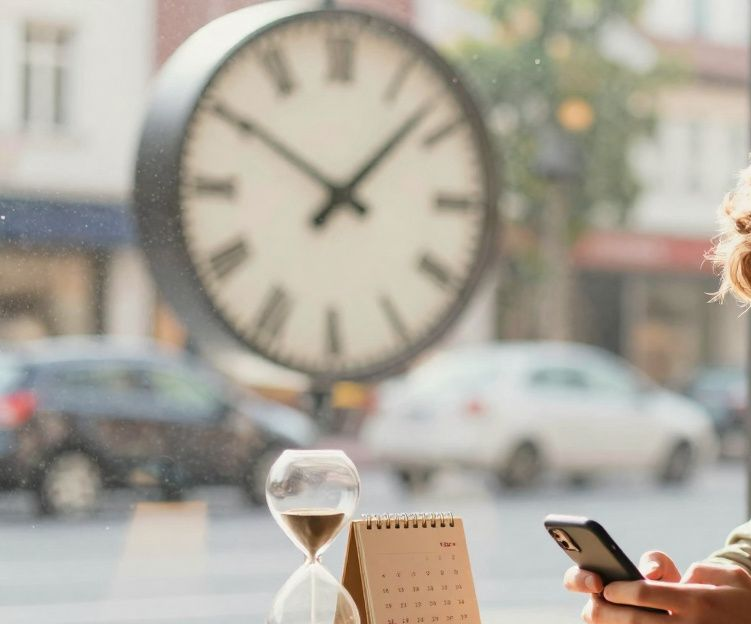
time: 10:07
